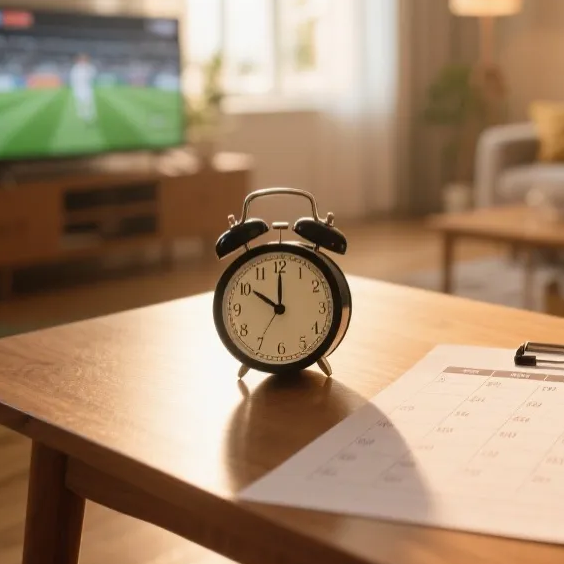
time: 10:00
